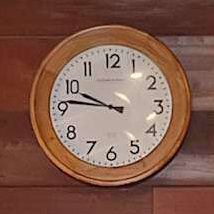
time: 9:46
